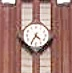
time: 4:35
